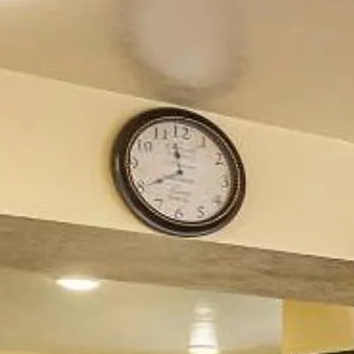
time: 11:39
